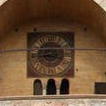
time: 3:43
